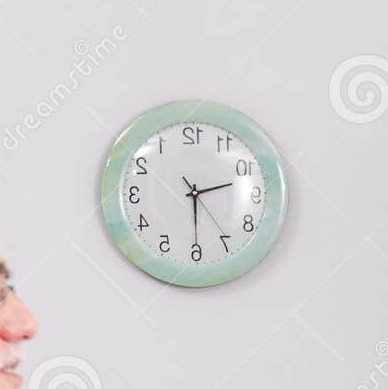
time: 2:29
